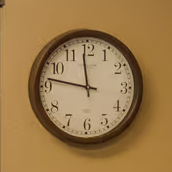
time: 11:46
